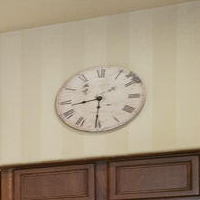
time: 8:30
